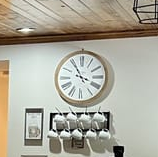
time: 3:55
